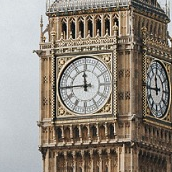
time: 11:44
